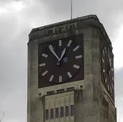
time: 12:54
